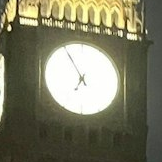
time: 6:54
